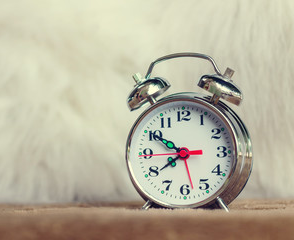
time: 7:50
